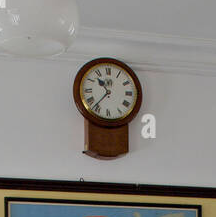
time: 10:36
